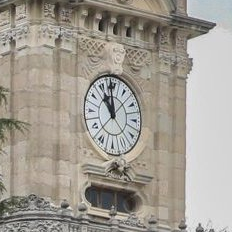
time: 10:59
